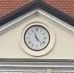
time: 11:22
